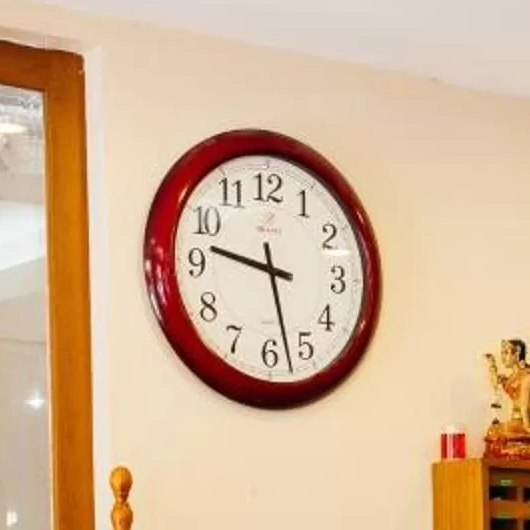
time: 9:27
